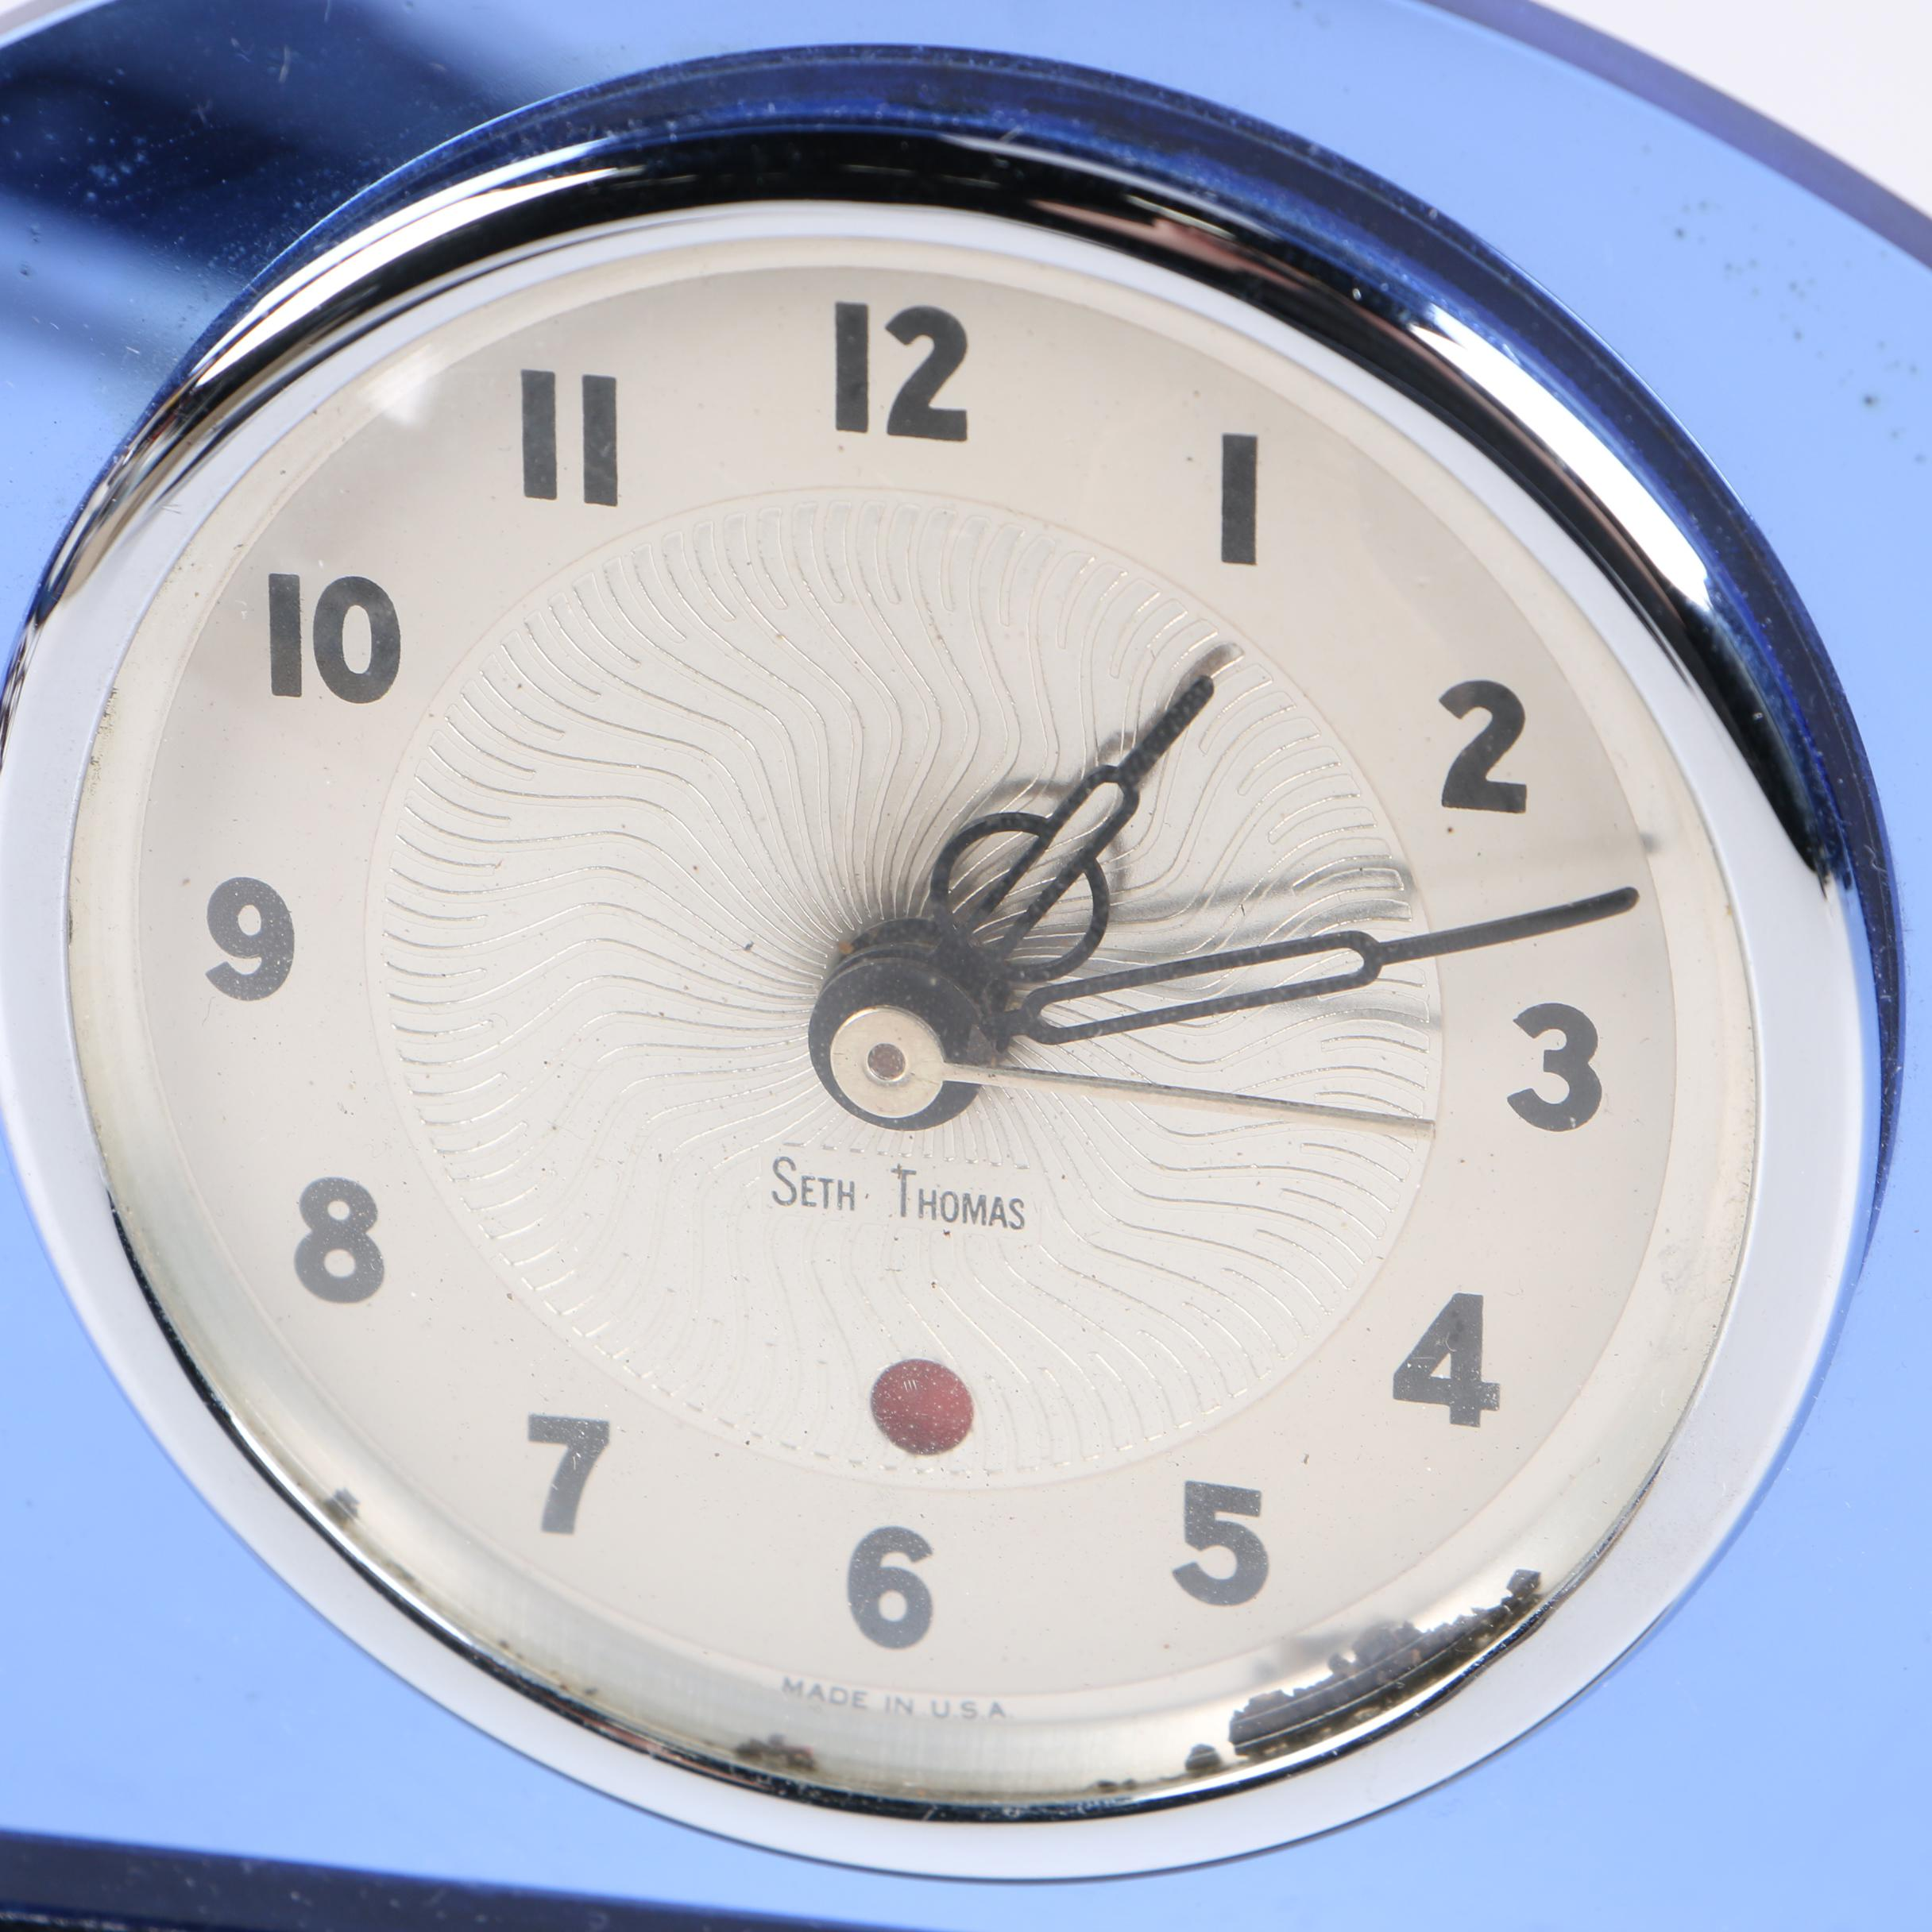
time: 1:12
